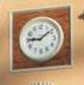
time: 9:08
